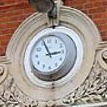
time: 2:55
